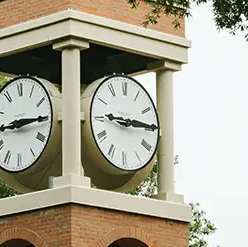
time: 9:14
